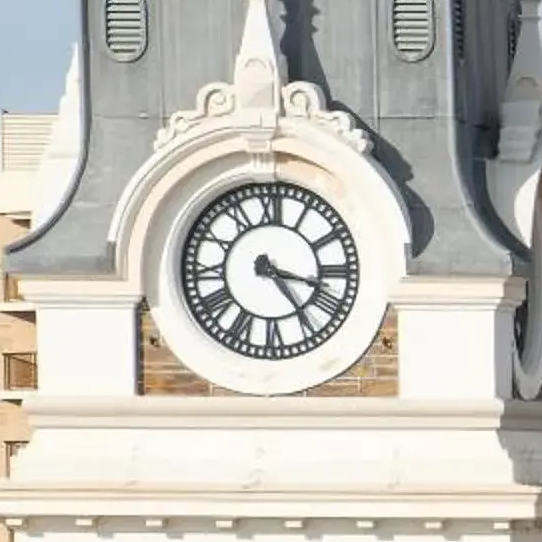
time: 3:24
